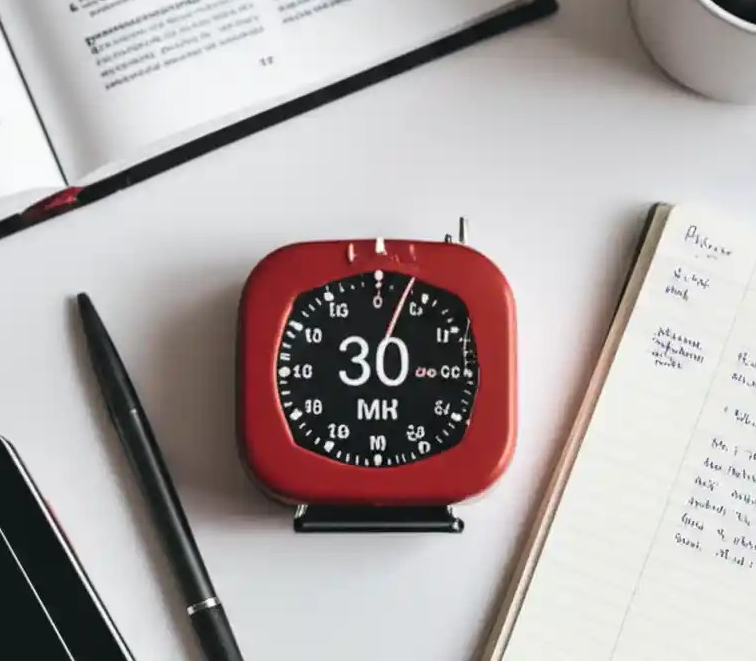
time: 3:03
